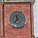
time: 11:37
